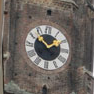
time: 1:52
